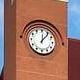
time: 12:06
